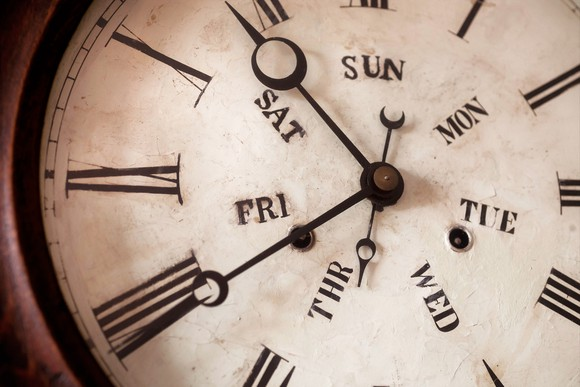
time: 10:40
